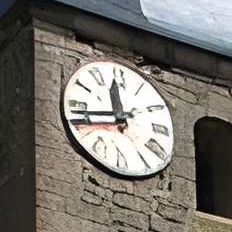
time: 11:42
